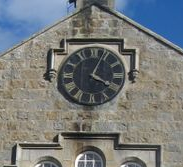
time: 4:03
